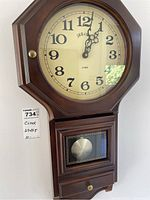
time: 1:02
